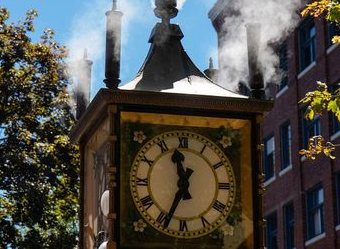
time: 11:34
